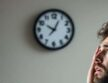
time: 12:49
